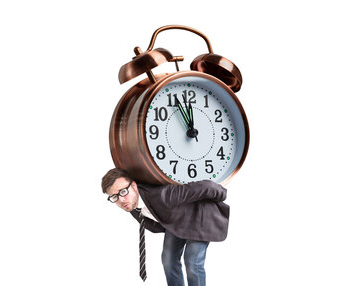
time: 11:55
